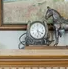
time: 5:18
